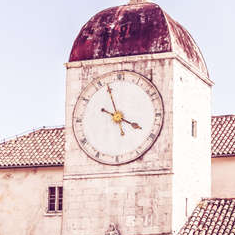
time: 3:57
